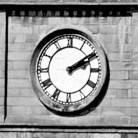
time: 2:09
